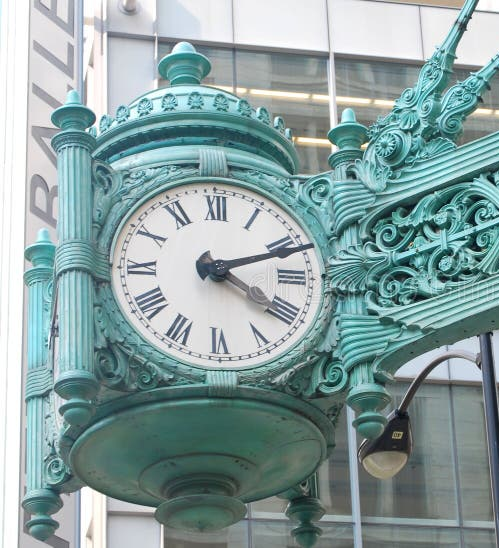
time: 4:11
